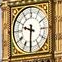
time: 9:31
